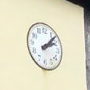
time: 2:07
